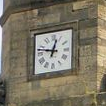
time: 12:47
